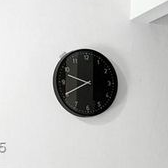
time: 9:40
